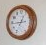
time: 12:44
